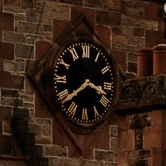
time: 3:38
